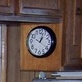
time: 1:02
